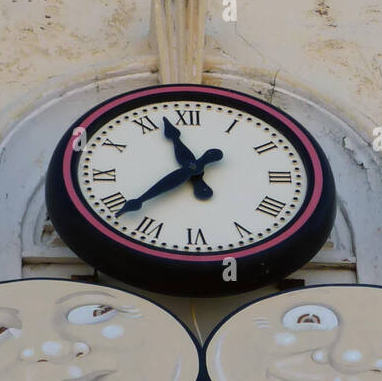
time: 11:37
